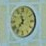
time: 11:36
